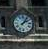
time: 2:06
